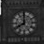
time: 7:59
